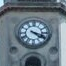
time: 4:18
